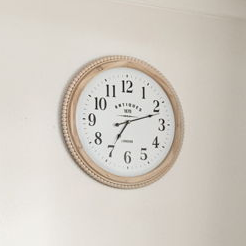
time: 7:11
